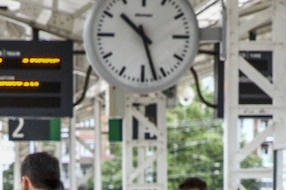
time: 10:27
